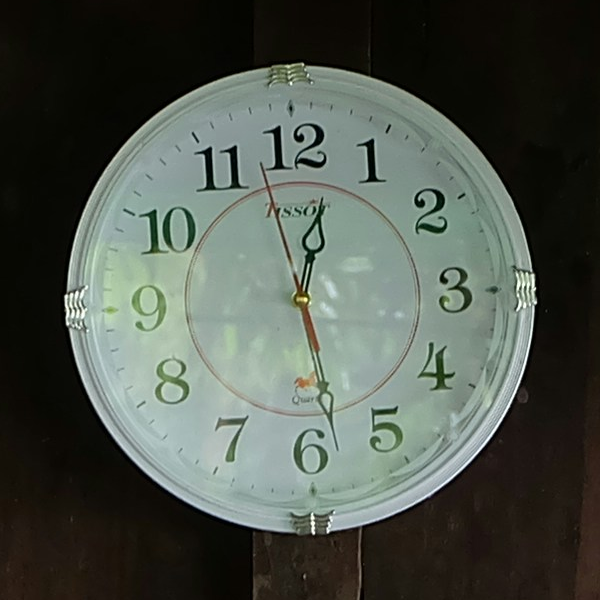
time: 12:28
